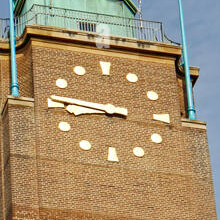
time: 8:46
